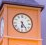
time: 6:23
